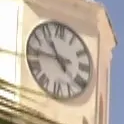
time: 10:44
